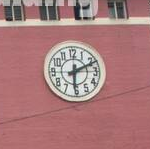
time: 6:11
